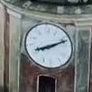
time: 8:11
